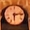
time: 6:13
